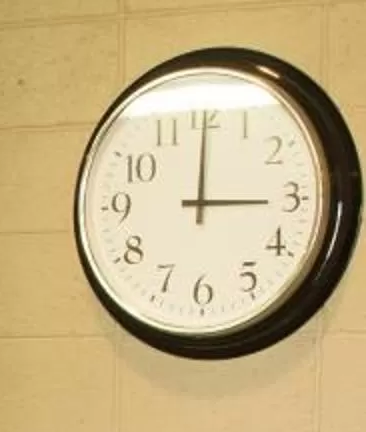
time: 3:00
